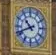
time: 10:41
